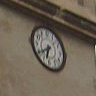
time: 6:39
